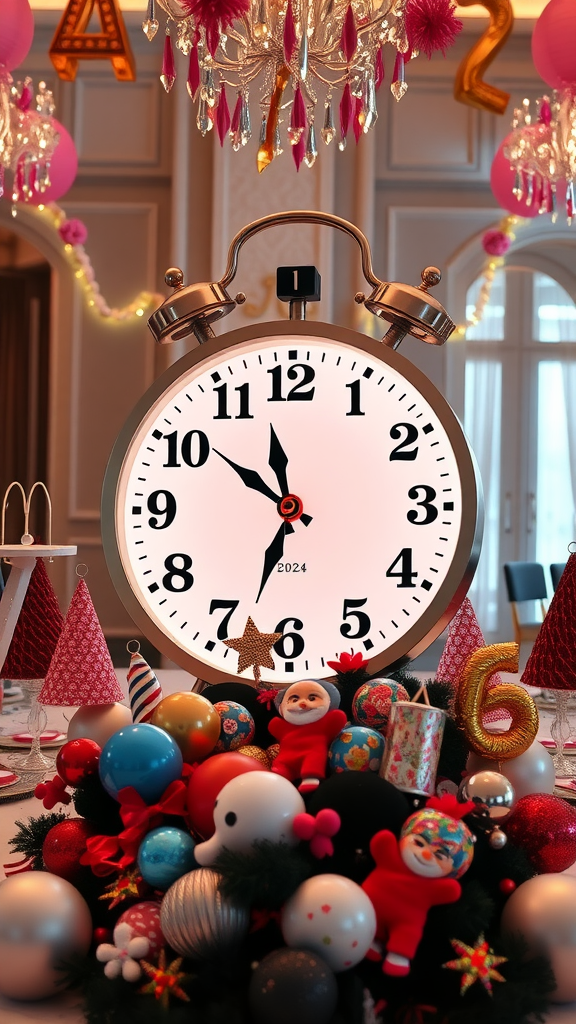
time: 11:33
